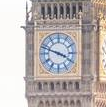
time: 3:48
